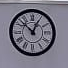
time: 12:52
